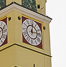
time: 12:13
